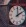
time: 2:00
